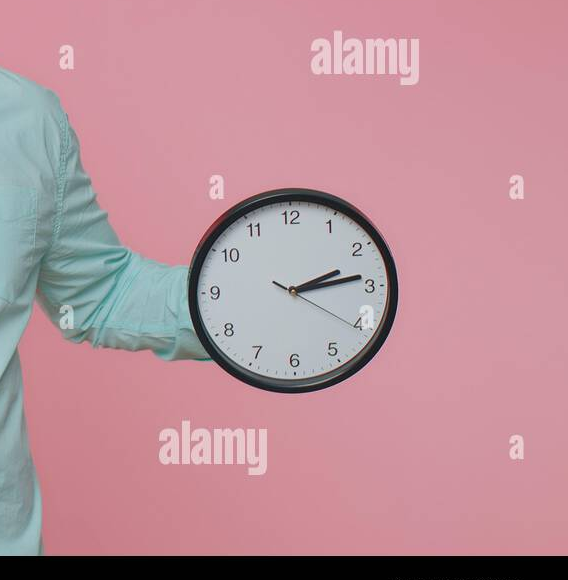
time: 2:13
